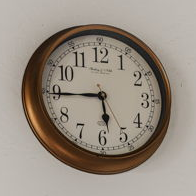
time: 5:44
